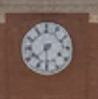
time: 7:30
